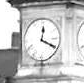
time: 12:19
